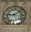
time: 9:08
